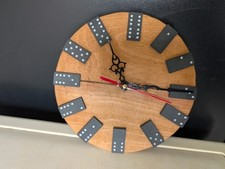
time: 11:15
